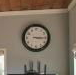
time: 3:15
